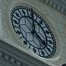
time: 4:01
